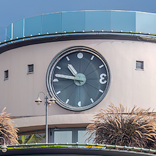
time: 10:46
